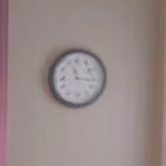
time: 11:16
